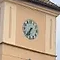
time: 6:36
